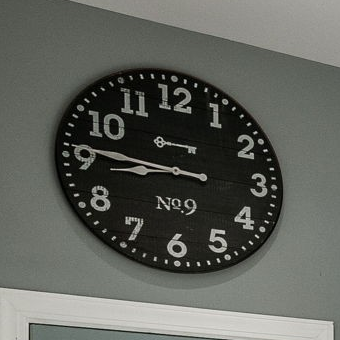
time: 8:46
